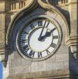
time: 2:03
